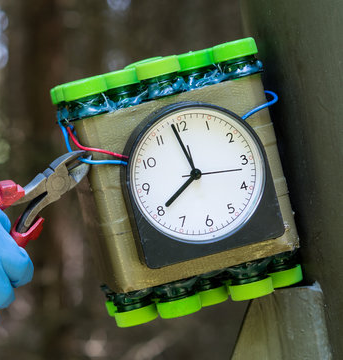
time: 7:58
